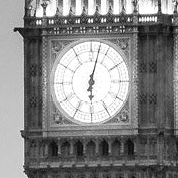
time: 6:02
